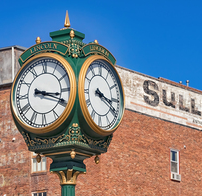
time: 3:19
